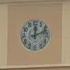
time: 12:12
